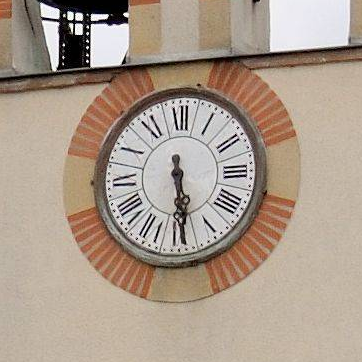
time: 5:29
